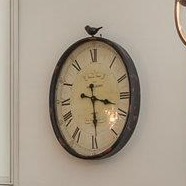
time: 3:28
